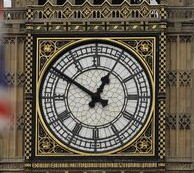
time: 12:50
